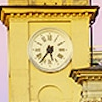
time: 5:36
